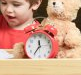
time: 11:35
